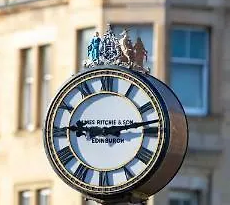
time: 9:13
